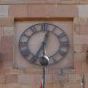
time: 12:34
